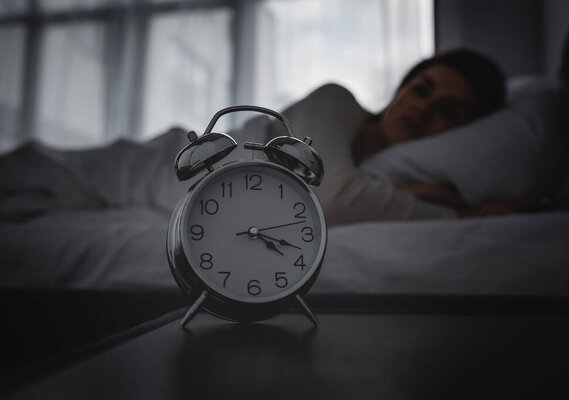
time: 4:18
